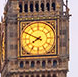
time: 7:49
